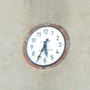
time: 5:34
